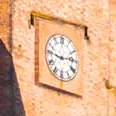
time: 2:46
